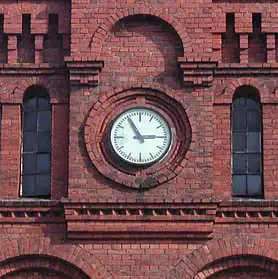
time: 2:55
